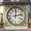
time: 12:13
